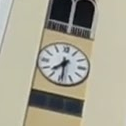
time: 7:29
